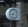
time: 8:32
